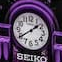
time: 1:39
